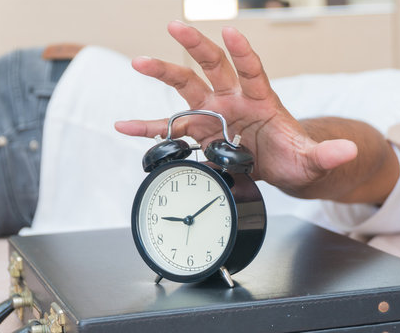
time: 9:09
